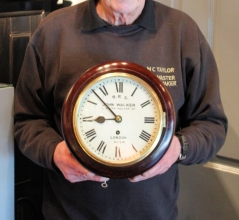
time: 8:52
